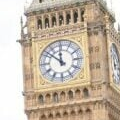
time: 11:51
